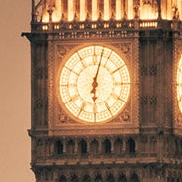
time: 6:02
